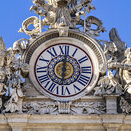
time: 6:01
